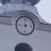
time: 11:46
